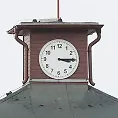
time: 3:14
